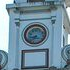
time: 8:36
